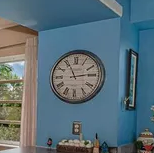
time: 11:13
